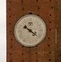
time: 10:21
